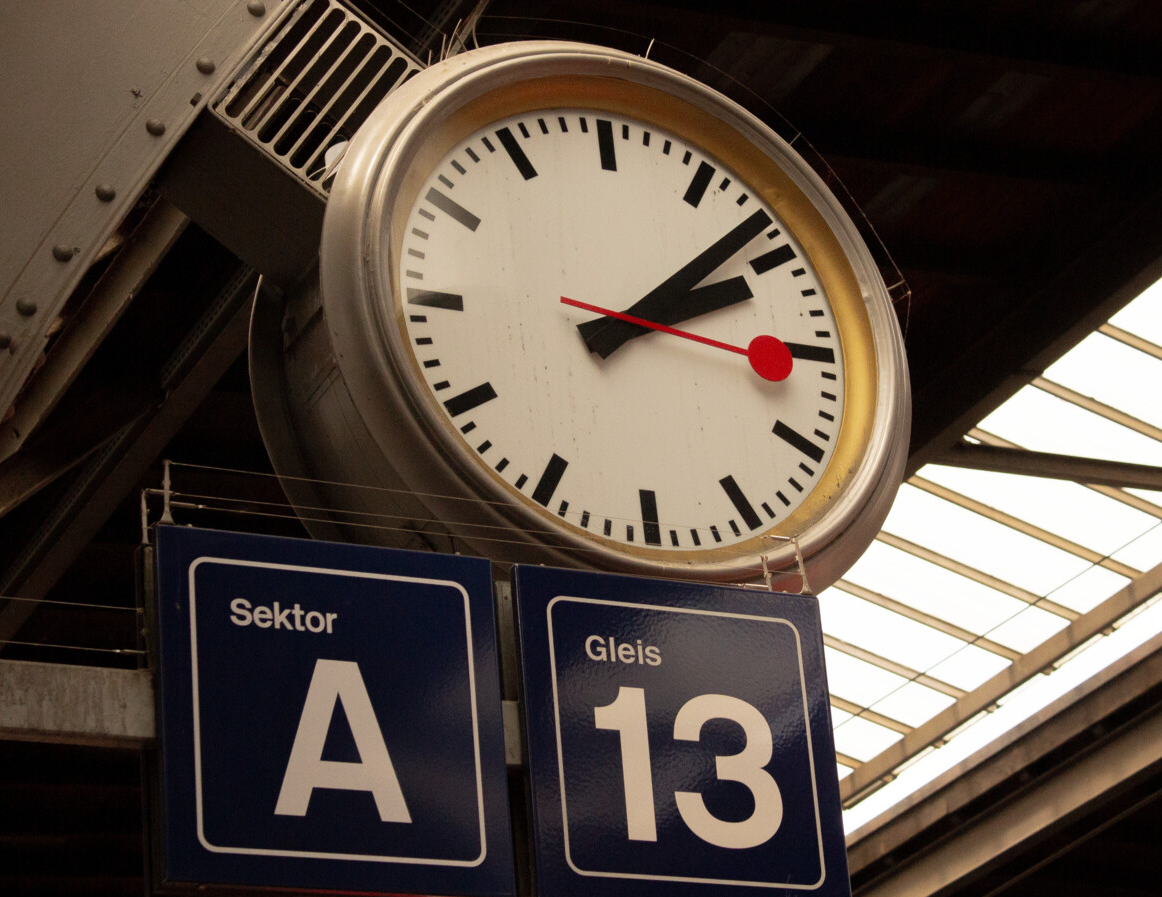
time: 2:08
